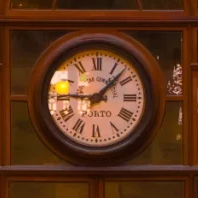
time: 9:07
